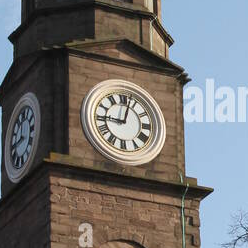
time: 9:02
